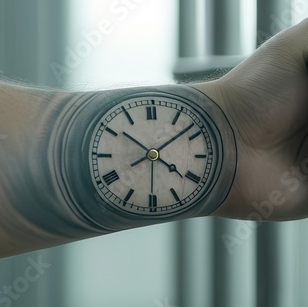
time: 4:08
